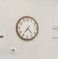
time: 4:35
